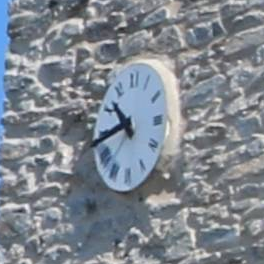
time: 10:42
